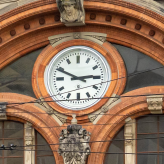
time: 2:49
